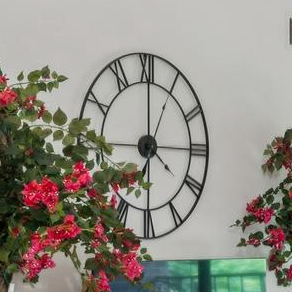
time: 7:00
